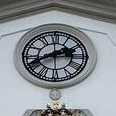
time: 2:40
